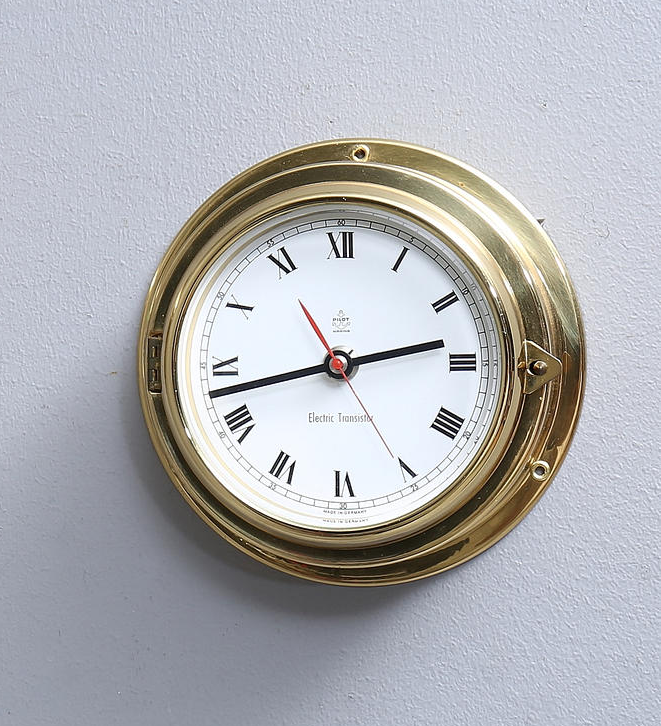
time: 2:42
